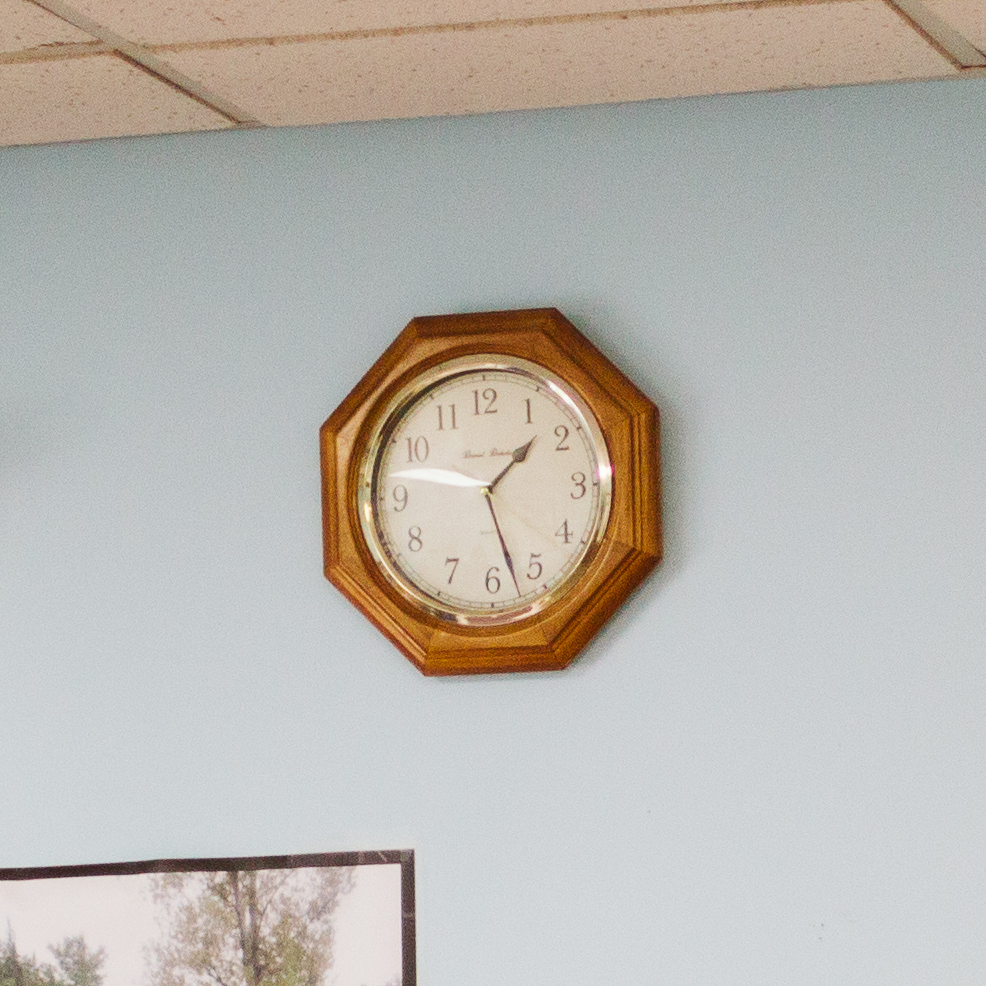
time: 1:27
